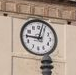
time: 9:02
